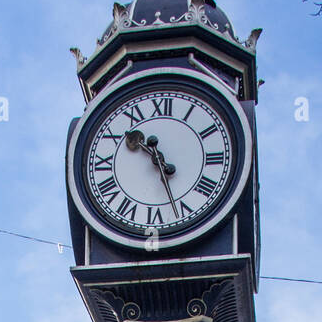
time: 10:26
